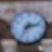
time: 2:35
